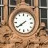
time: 7:39
